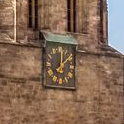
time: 12:07
